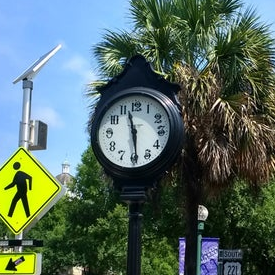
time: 11:29
